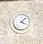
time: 4:07
